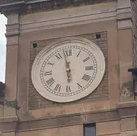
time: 5:58
